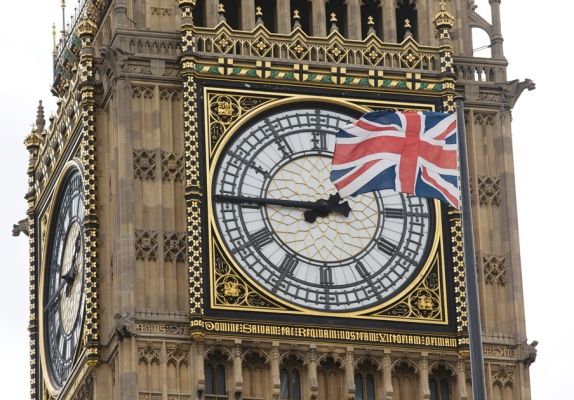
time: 1:45
